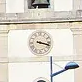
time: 3:17
